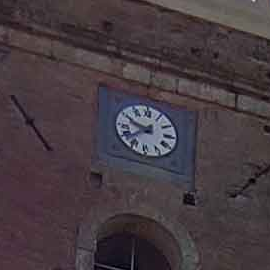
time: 9:38
